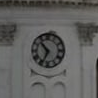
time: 10:34
